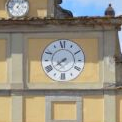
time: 7:39
